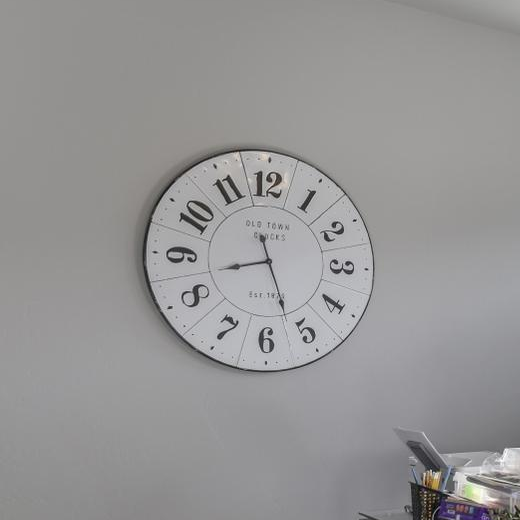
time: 8:26
